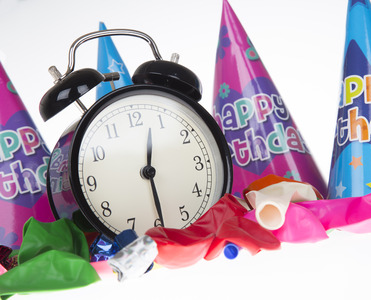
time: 12:29
